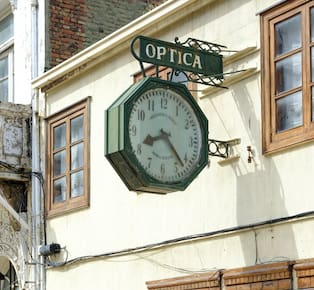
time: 8:22
